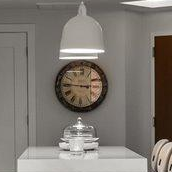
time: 2:45
